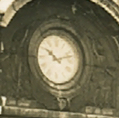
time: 10:12
